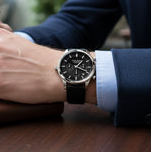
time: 1:19
